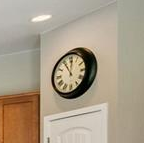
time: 11:01
